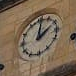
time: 2:01
